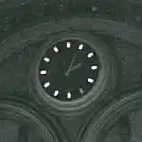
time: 2:04
